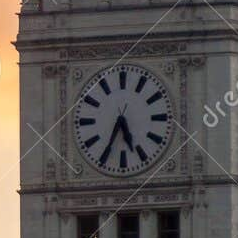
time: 5:34
